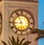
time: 5:55
